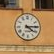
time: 4:14
